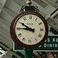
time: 9:45
